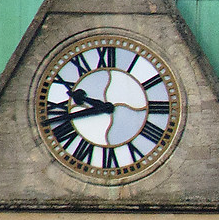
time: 9:42
